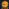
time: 9:12
